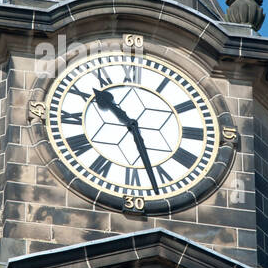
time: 10:26
